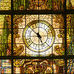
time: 4:52
